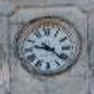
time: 9:22
